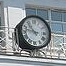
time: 10:47
